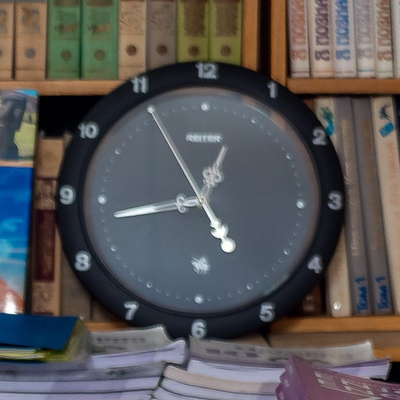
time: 12:43
